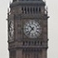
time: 10:37
